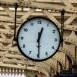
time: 12:29
